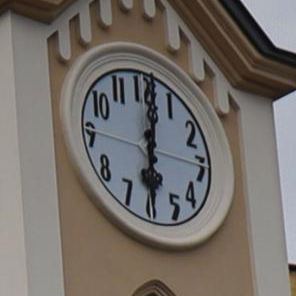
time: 6:01
